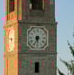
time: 5:34
